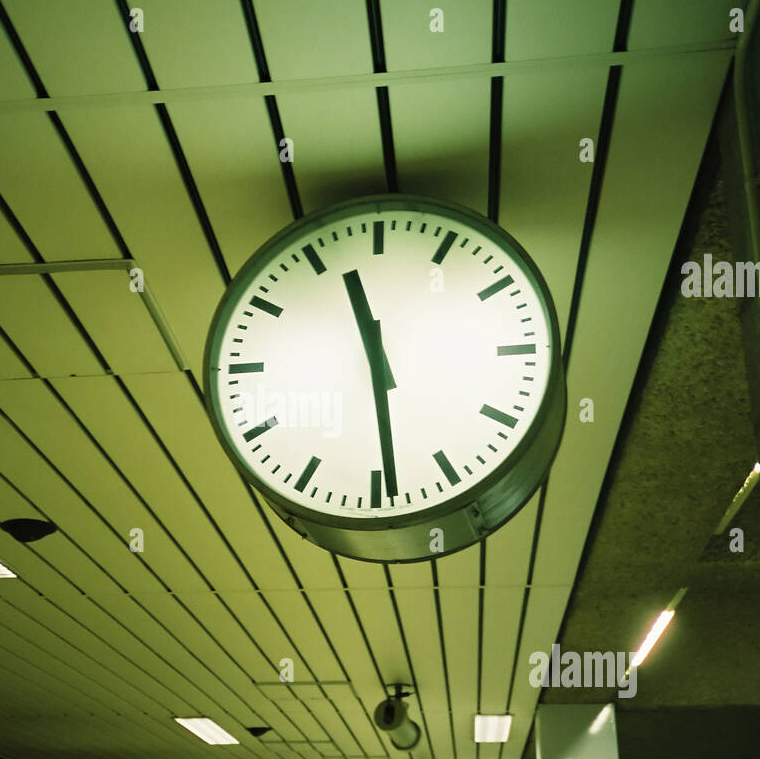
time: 11:29
